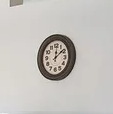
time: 12:08
